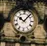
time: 10:07
